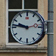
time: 9:46
